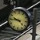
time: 9:44
